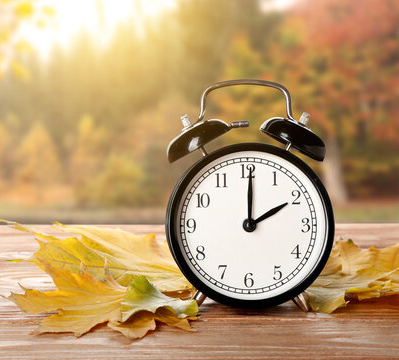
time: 2:00
